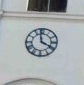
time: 3:58
